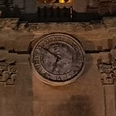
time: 6:50
